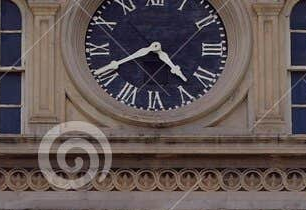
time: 4:40
